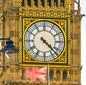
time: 4:22
